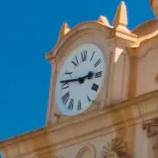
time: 2:46
